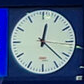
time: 12:22
